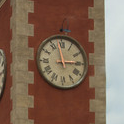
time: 2:58
